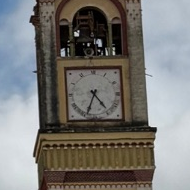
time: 4:34
